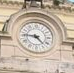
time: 4:45
